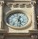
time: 12:27
